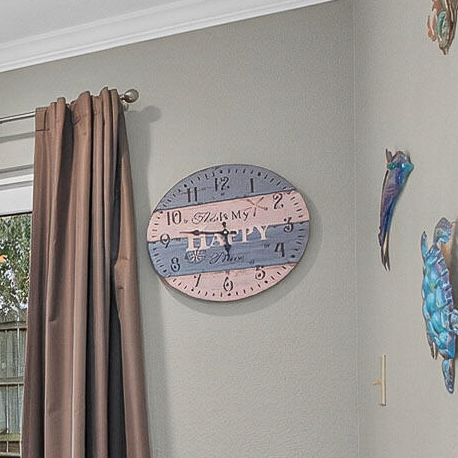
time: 5:46
